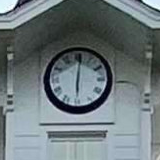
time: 6:01
